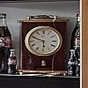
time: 5:49
